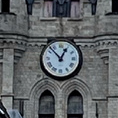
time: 12:53
